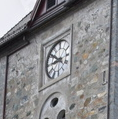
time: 8:51
